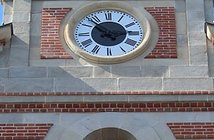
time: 2:53
